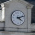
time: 4:12
